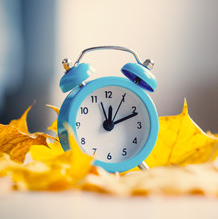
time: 12:11
